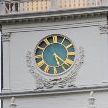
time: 5:21
